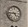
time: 4:44
